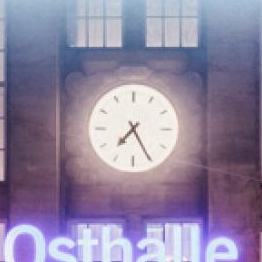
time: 7:25
